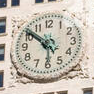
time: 5:51
